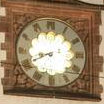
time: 8:40
